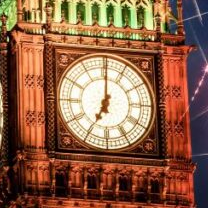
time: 7:00
